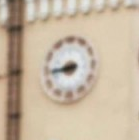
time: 8:44
